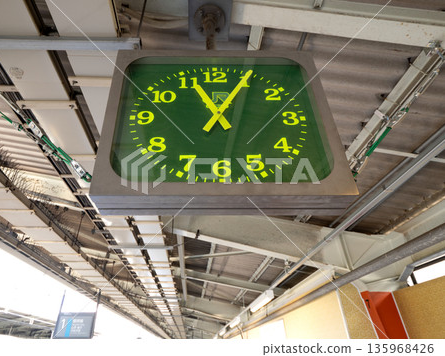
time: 11:05
